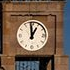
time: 12:59
